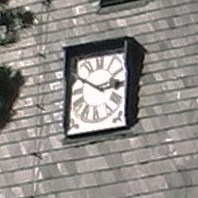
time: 2:49
